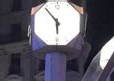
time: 5:54
